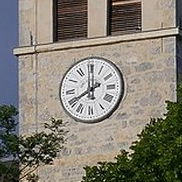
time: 8:00
